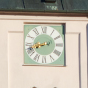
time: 8:41
